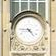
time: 4:45
